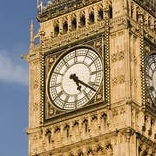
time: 5:21
